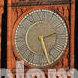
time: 2:27
